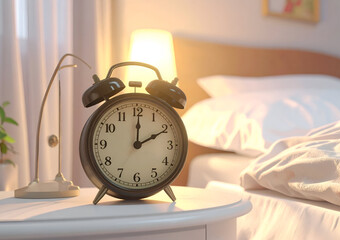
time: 2:00
